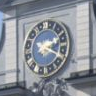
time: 2:18
